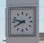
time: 7:47
